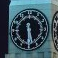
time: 5:29
